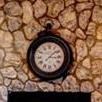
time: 3:08
